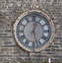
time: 12:26
